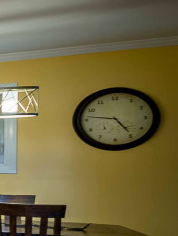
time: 4:46
